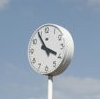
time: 3:54
